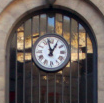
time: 12:58
